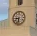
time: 8:32
